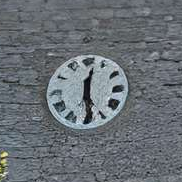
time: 12:28
